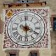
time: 3:29
